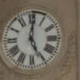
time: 5:00
